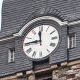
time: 11:45
